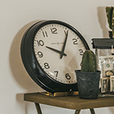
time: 10:05
